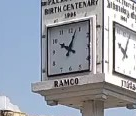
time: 10:03
